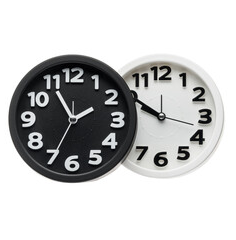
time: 9:50
